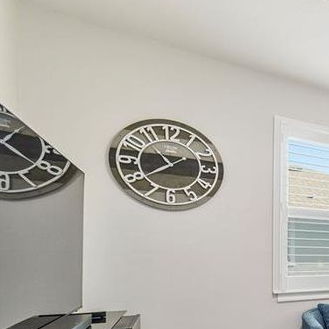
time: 10:39
